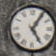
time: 5:05
